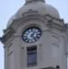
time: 1:24
